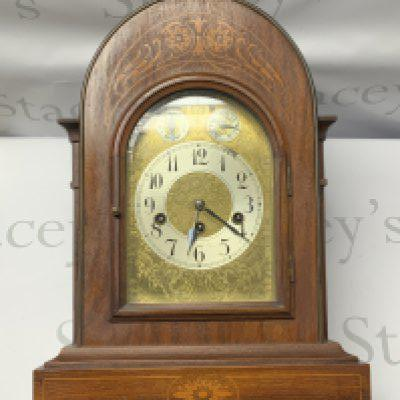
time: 6:20
